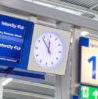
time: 11:52
